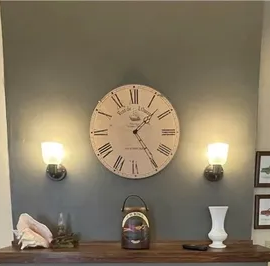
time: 1:24
